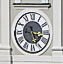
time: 5:16
